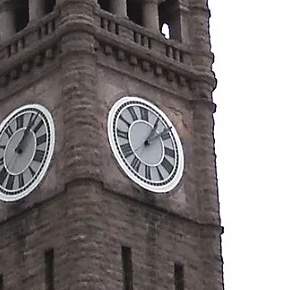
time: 1:08
